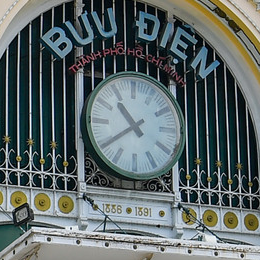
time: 10:39
